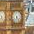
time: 6:23
